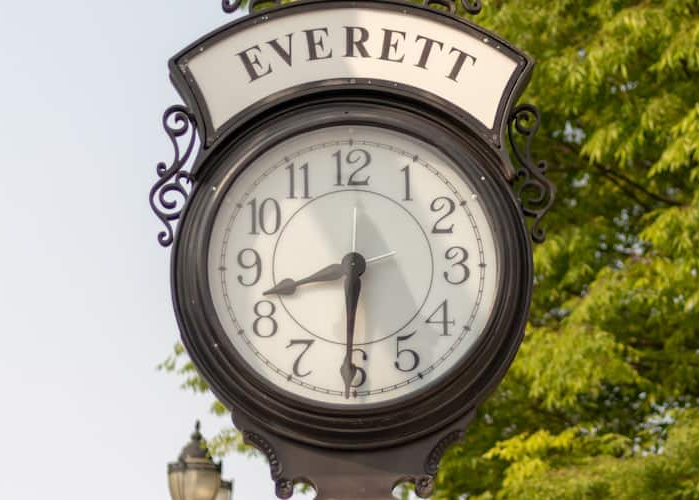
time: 8:30
